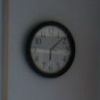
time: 6:08
